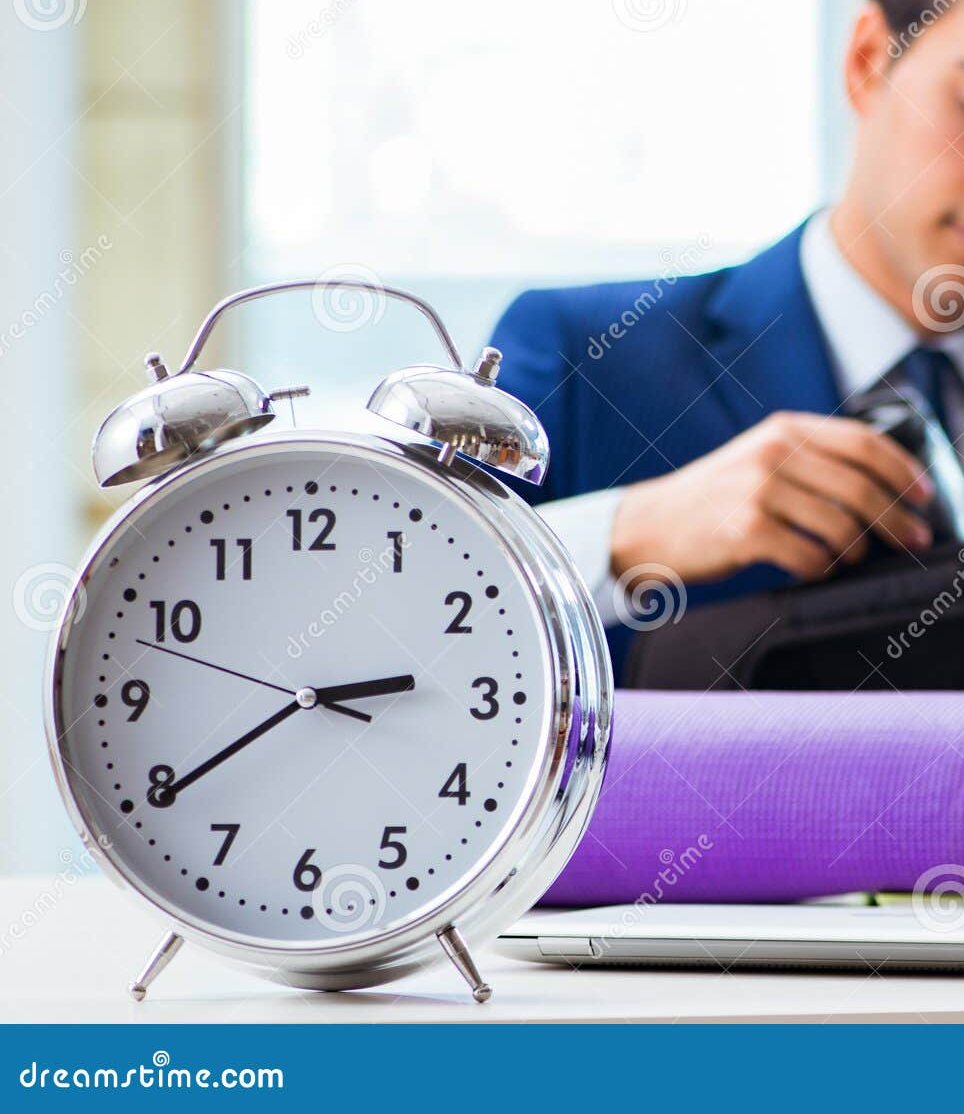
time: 2:39
